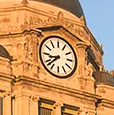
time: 8:38
